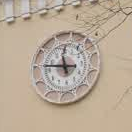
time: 11:46
